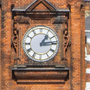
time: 1:14
